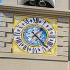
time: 1:22
